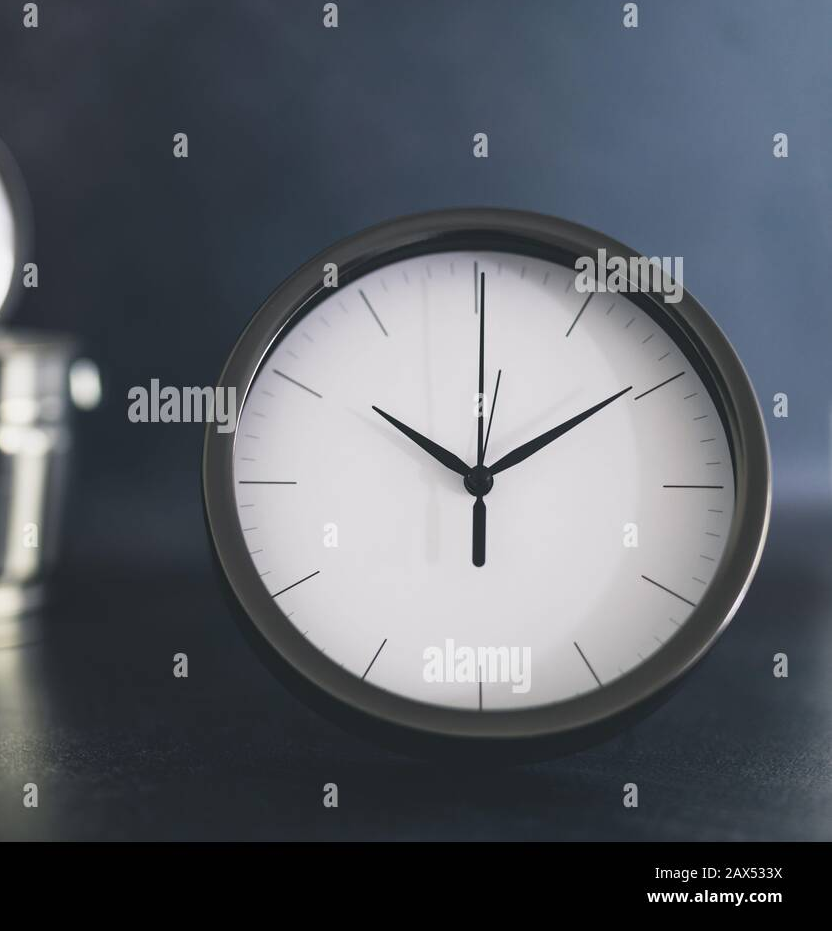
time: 10:09
